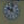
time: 10:02
